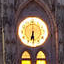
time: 6:29
